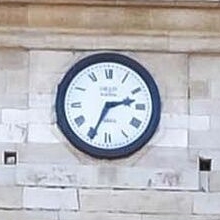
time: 2:34
